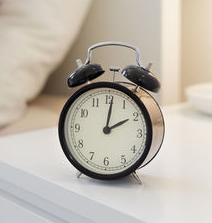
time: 2:01
